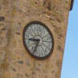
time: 8:34
